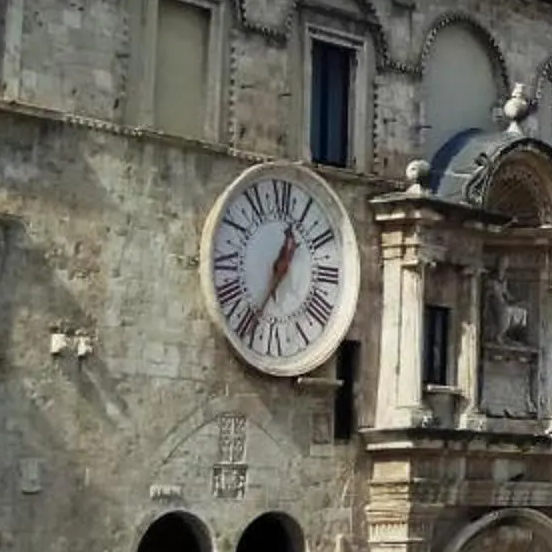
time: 12:34
